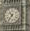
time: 10:36
